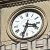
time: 3:33
